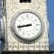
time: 8:43
